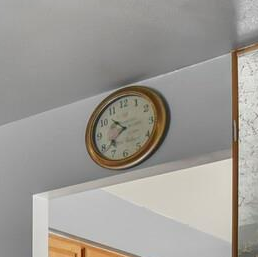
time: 10:38
